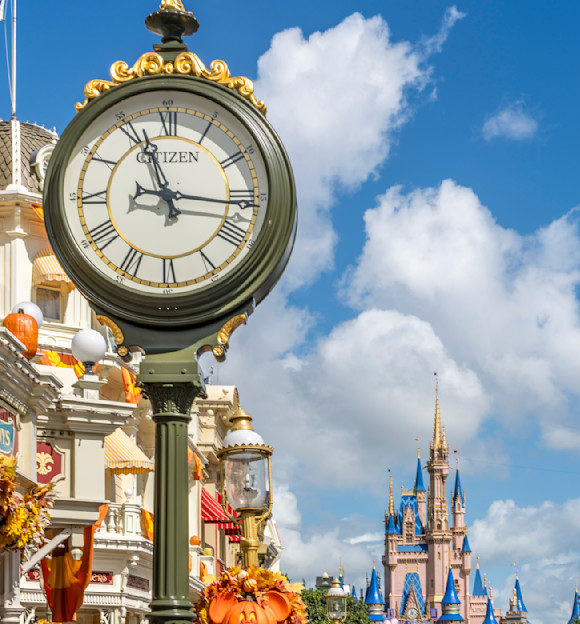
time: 11:15
